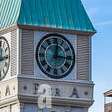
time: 12:16
